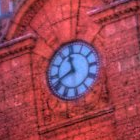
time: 11:41
